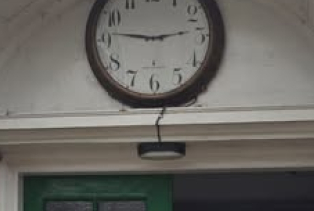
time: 2:46
